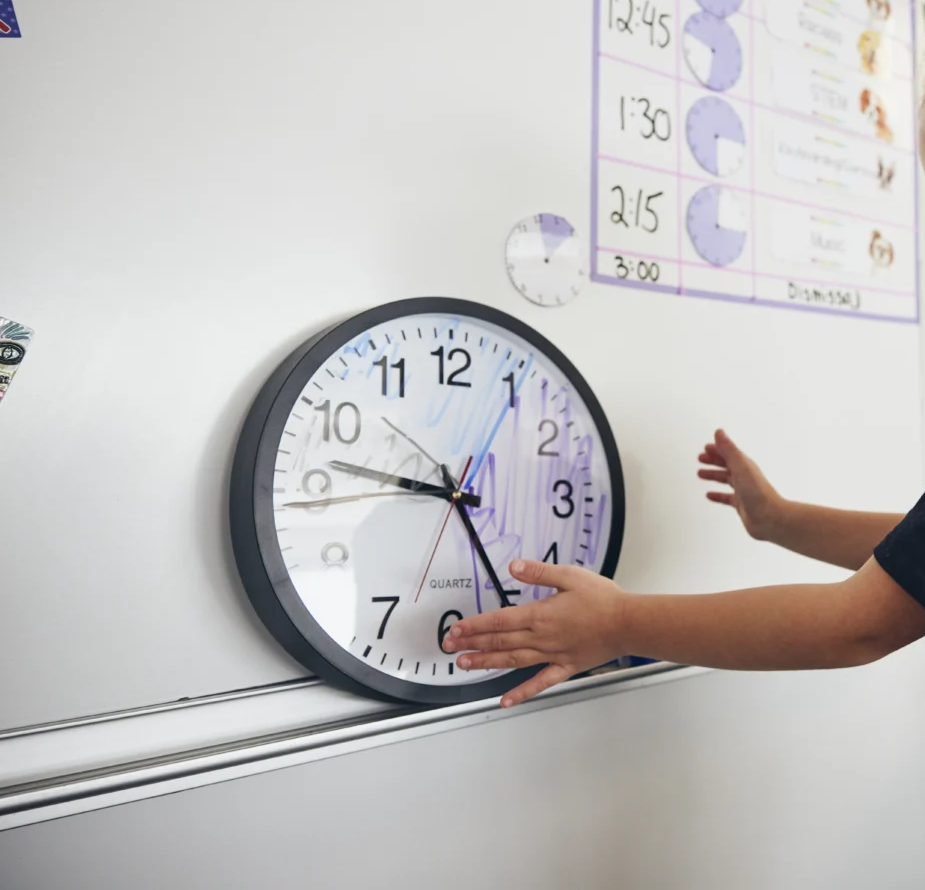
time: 9:25
